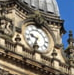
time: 9:34
